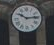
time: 10:14
